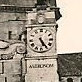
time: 5:24
